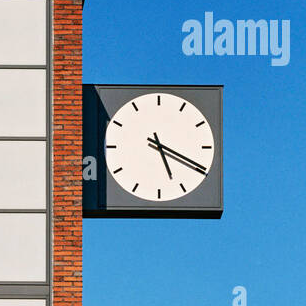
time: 5:19
